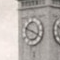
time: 3:48
